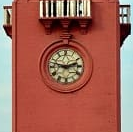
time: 2:47
